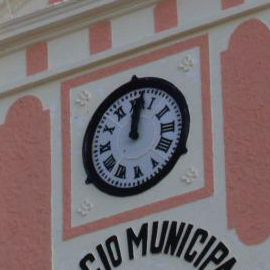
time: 12:01
